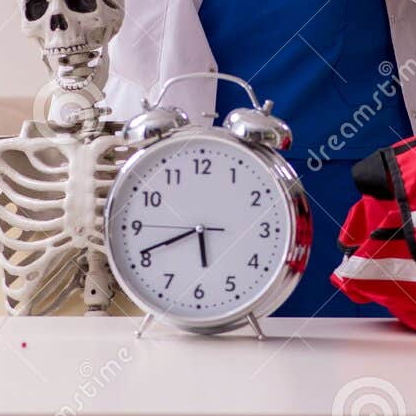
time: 5:41
